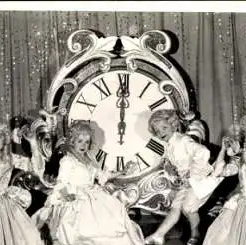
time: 12:00
